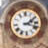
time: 2:18
